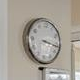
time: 3:16
